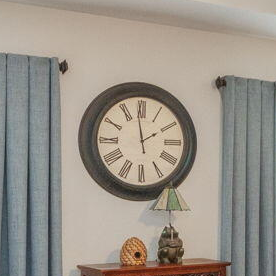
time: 1:58
